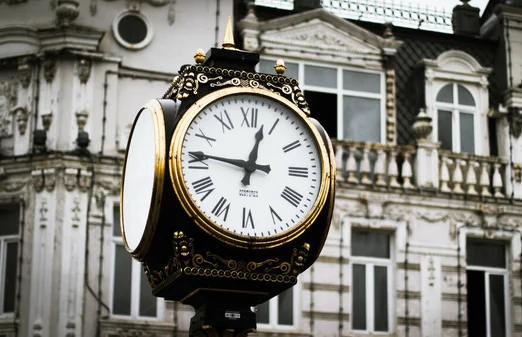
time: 12:46
